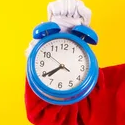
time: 7:39
